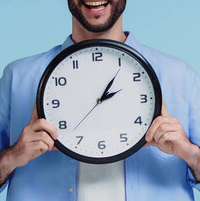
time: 2:06
